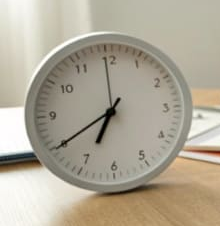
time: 6:59
